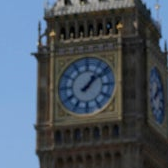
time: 1:08
